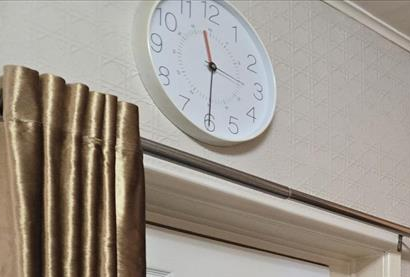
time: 11:30
